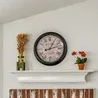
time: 1:12
